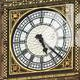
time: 5:22
